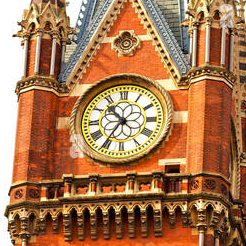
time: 10:35
